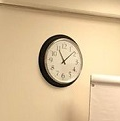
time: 11:08
